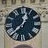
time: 12:37
